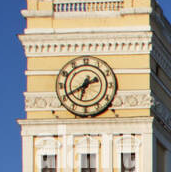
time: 6:40
